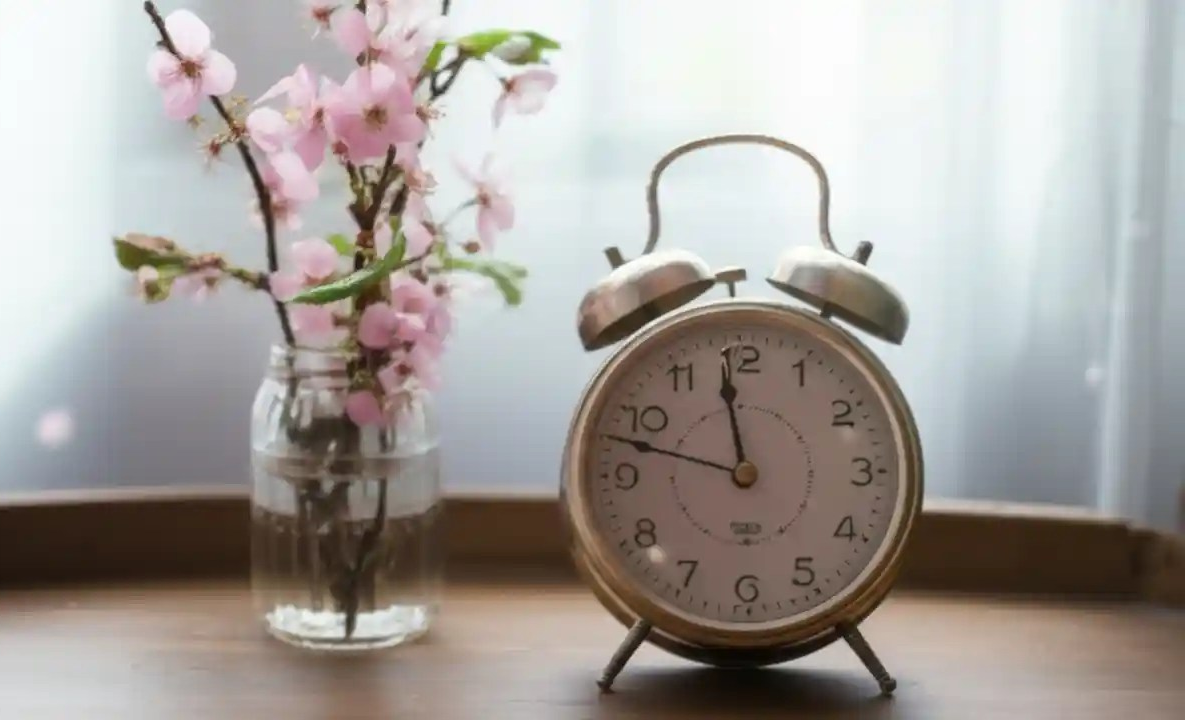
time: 11:47
